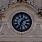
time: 1:33
